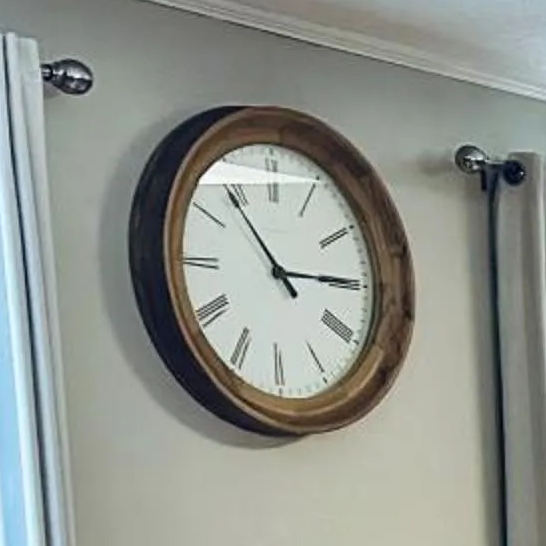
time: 2:53
